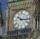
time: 10:15
